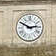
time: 2:50
